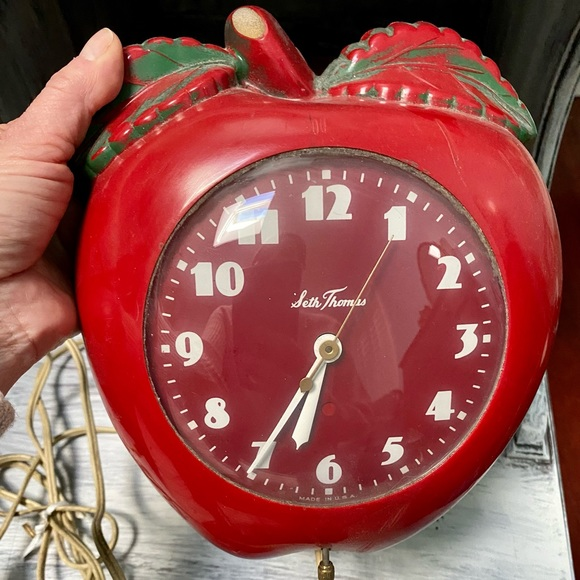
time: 6:35
